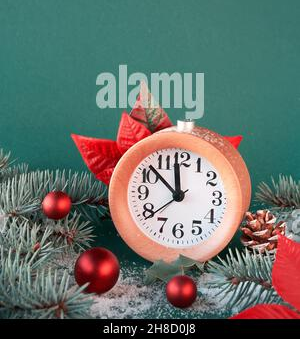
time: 11:52
